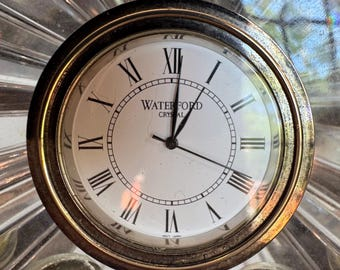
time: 1:01
